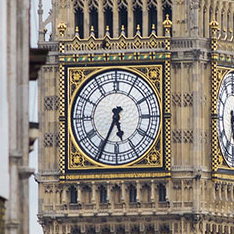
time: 5:34
